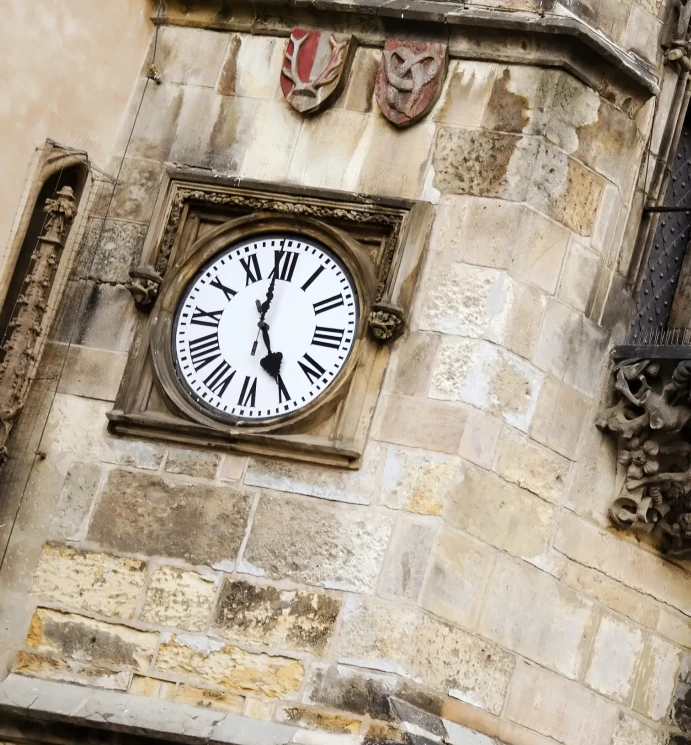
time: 4:59
